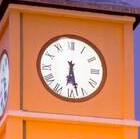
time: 6:27
